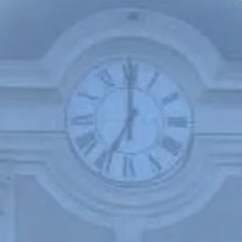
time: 6:59
